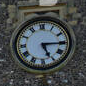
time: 5:15
